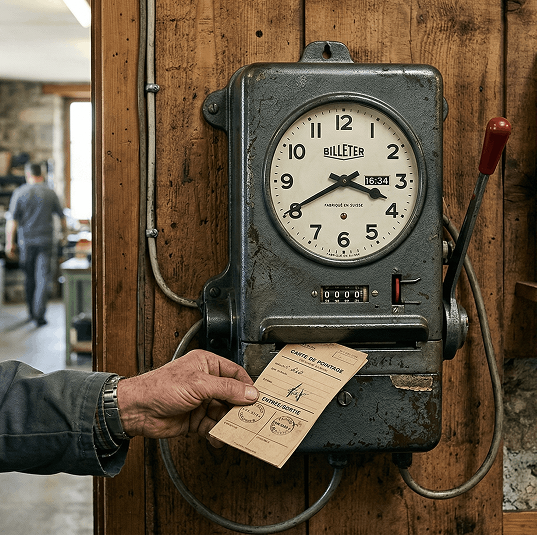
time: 3:40
